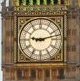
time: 9:12
